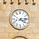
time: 4:13
